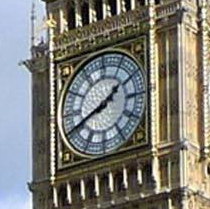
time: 1:41
